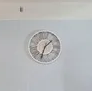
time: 1:33
